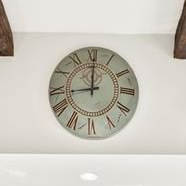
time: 9:00
